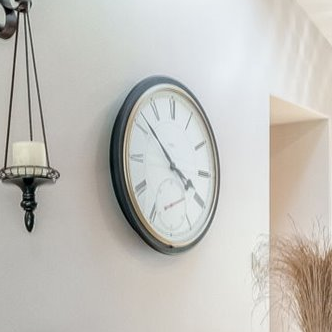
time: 3:51
